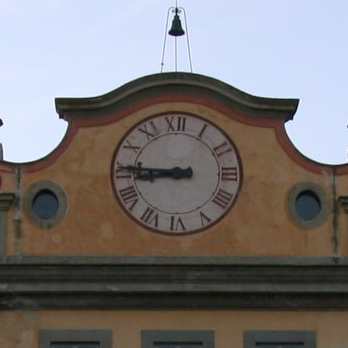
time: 8:45
